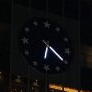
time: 6:20
